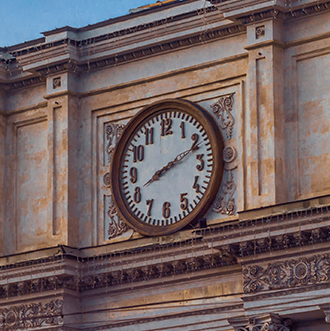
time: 8:11
